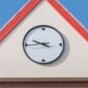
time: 9:43
